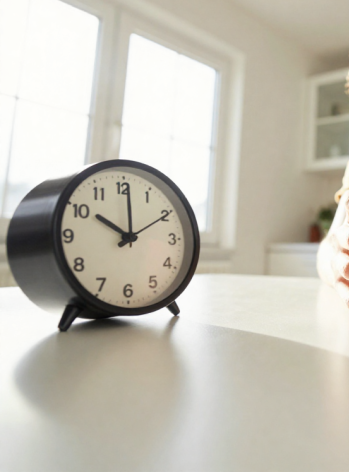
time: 10:00
